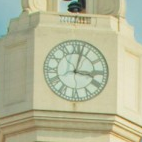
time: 3:02
